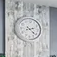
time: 2:21
